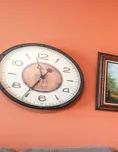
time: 11:35
